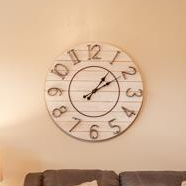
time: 1:09
